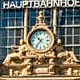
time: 10:36
